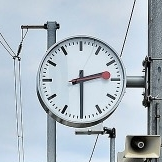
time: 2:30
